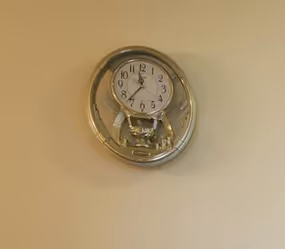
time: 11:36
